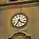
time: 4:34
